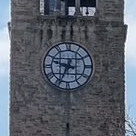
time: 9:34
